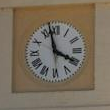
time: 3:57
